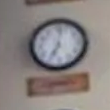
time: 7:02
